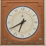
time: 6:40
